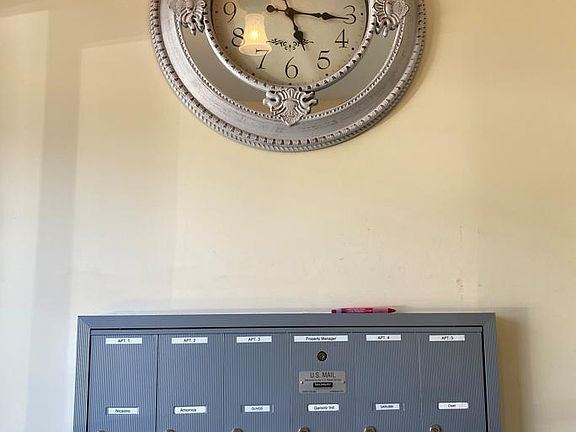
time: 5:15
